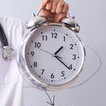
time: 1:21
